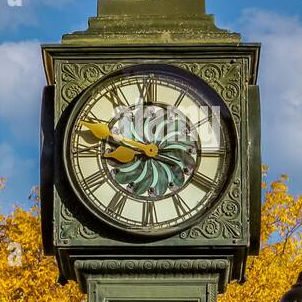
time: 3:47
